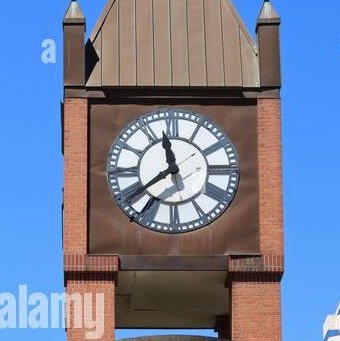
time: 11:38
